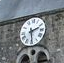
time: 2:29
